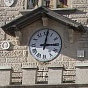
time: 3:01
